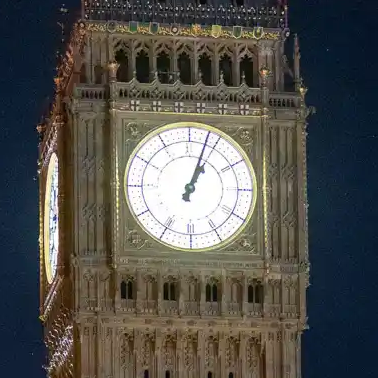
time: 1:03
